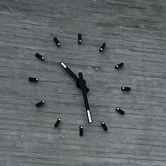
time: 10:28
